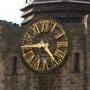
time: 4:44
